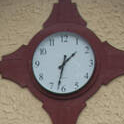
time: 1:32
